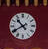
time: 10:40
